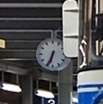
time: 6:34
